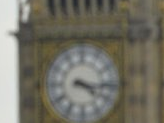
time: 4:16
